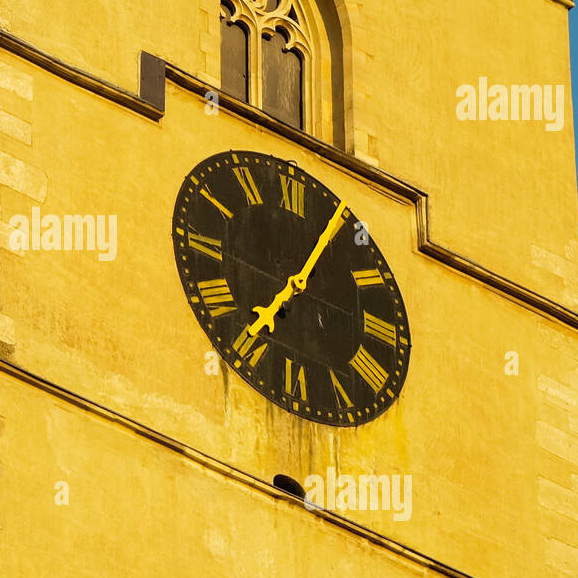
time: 7:04
